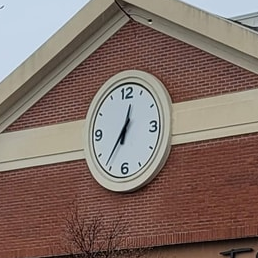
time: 12:36
